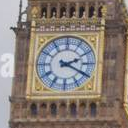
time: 2:19
